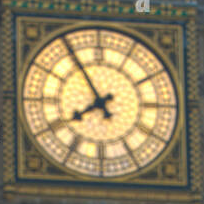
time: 7:54
